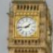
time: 1:43
